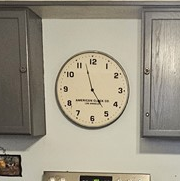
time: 4:57
